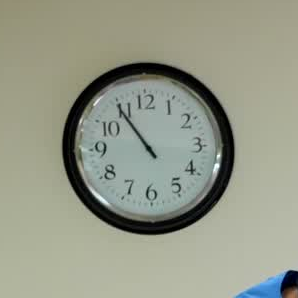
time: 10:54
